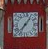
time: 7:06
